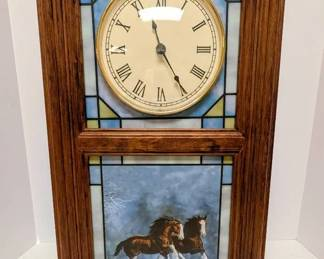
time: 11:24
